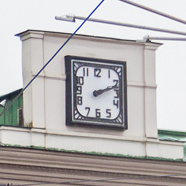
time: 2:11
